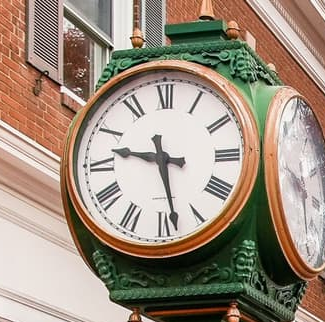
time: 9:28
